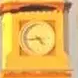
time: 4:43
